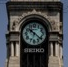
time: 10:21
